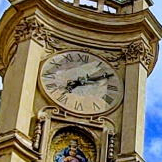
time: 7:10
